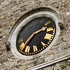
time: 2:36
